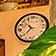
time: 10:38
